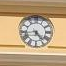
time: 4:43
